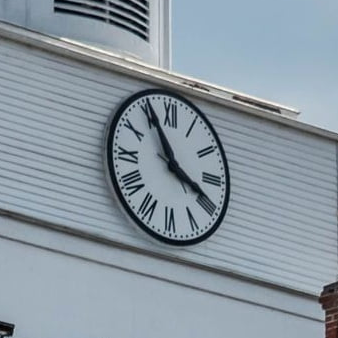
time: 3:55
